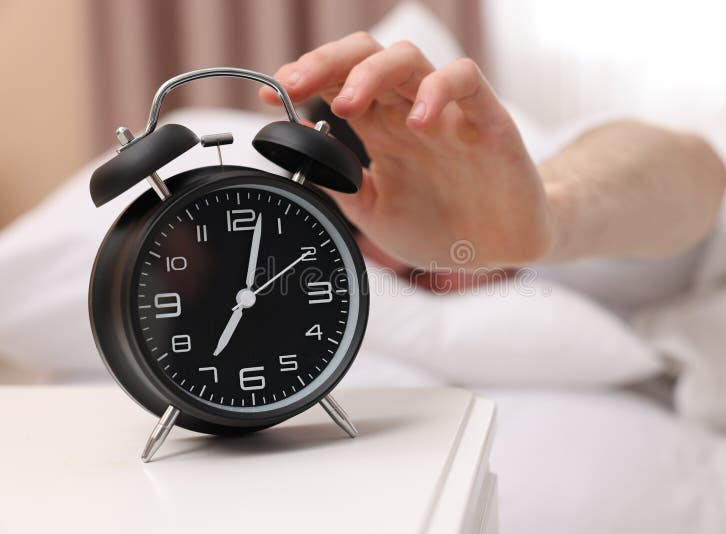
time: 7:02
